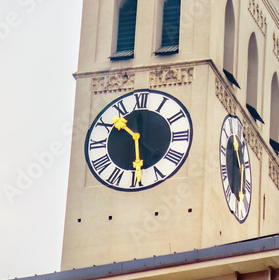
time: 10:29
